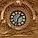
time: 1:32
